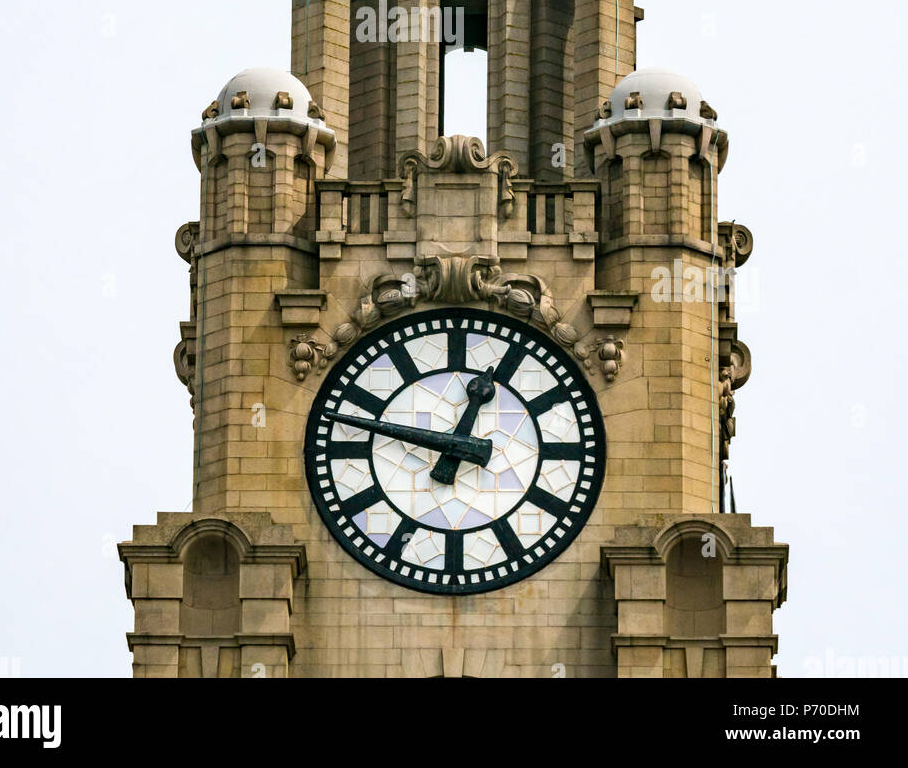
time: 12:47
